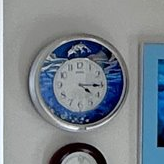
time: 4:15
